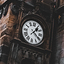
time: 1:20
